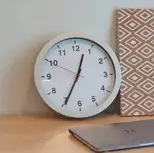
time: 12:34
